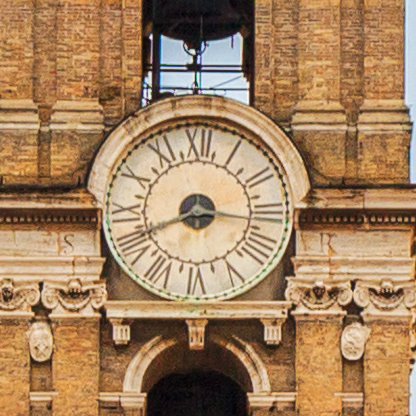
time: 8:15
